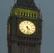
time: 4:28
